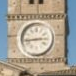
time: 2:43
